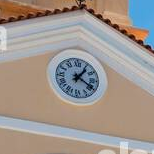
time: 1:19
